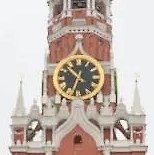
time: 10:33
